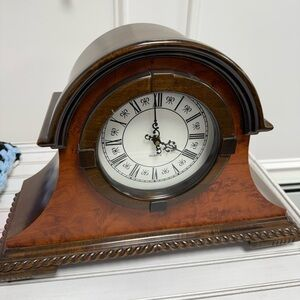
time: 3:59
